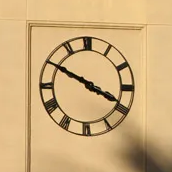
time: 3:49
